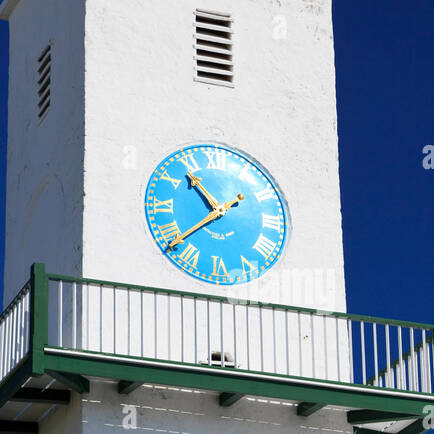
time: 10:38
